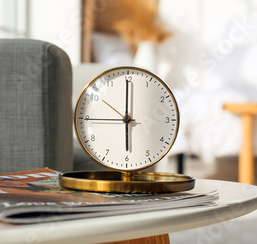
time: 5:59
